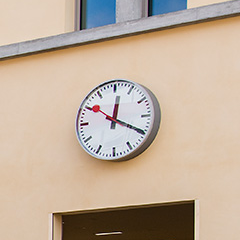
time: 12:19
